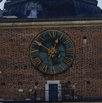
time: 12:50
